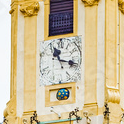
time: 11:17
